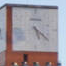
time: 5:21
